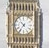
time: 10:36
